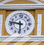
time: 5:46
